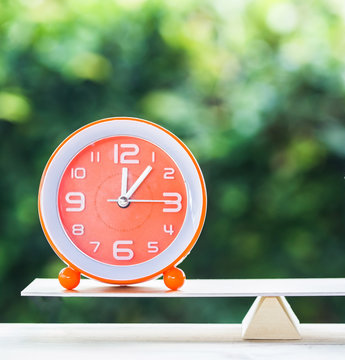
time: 12:06
